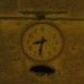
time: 8:32
